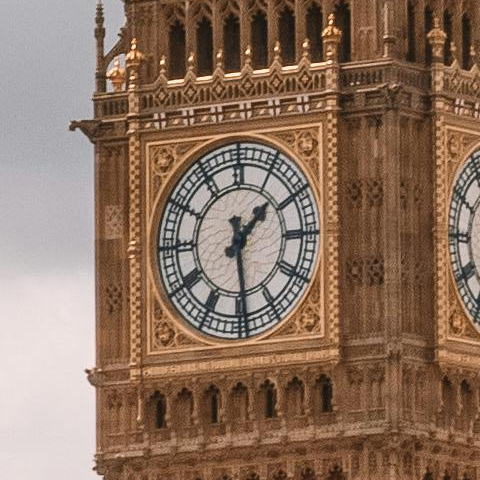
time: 1:28
